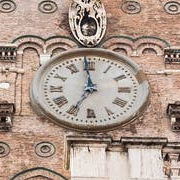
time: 6:59
